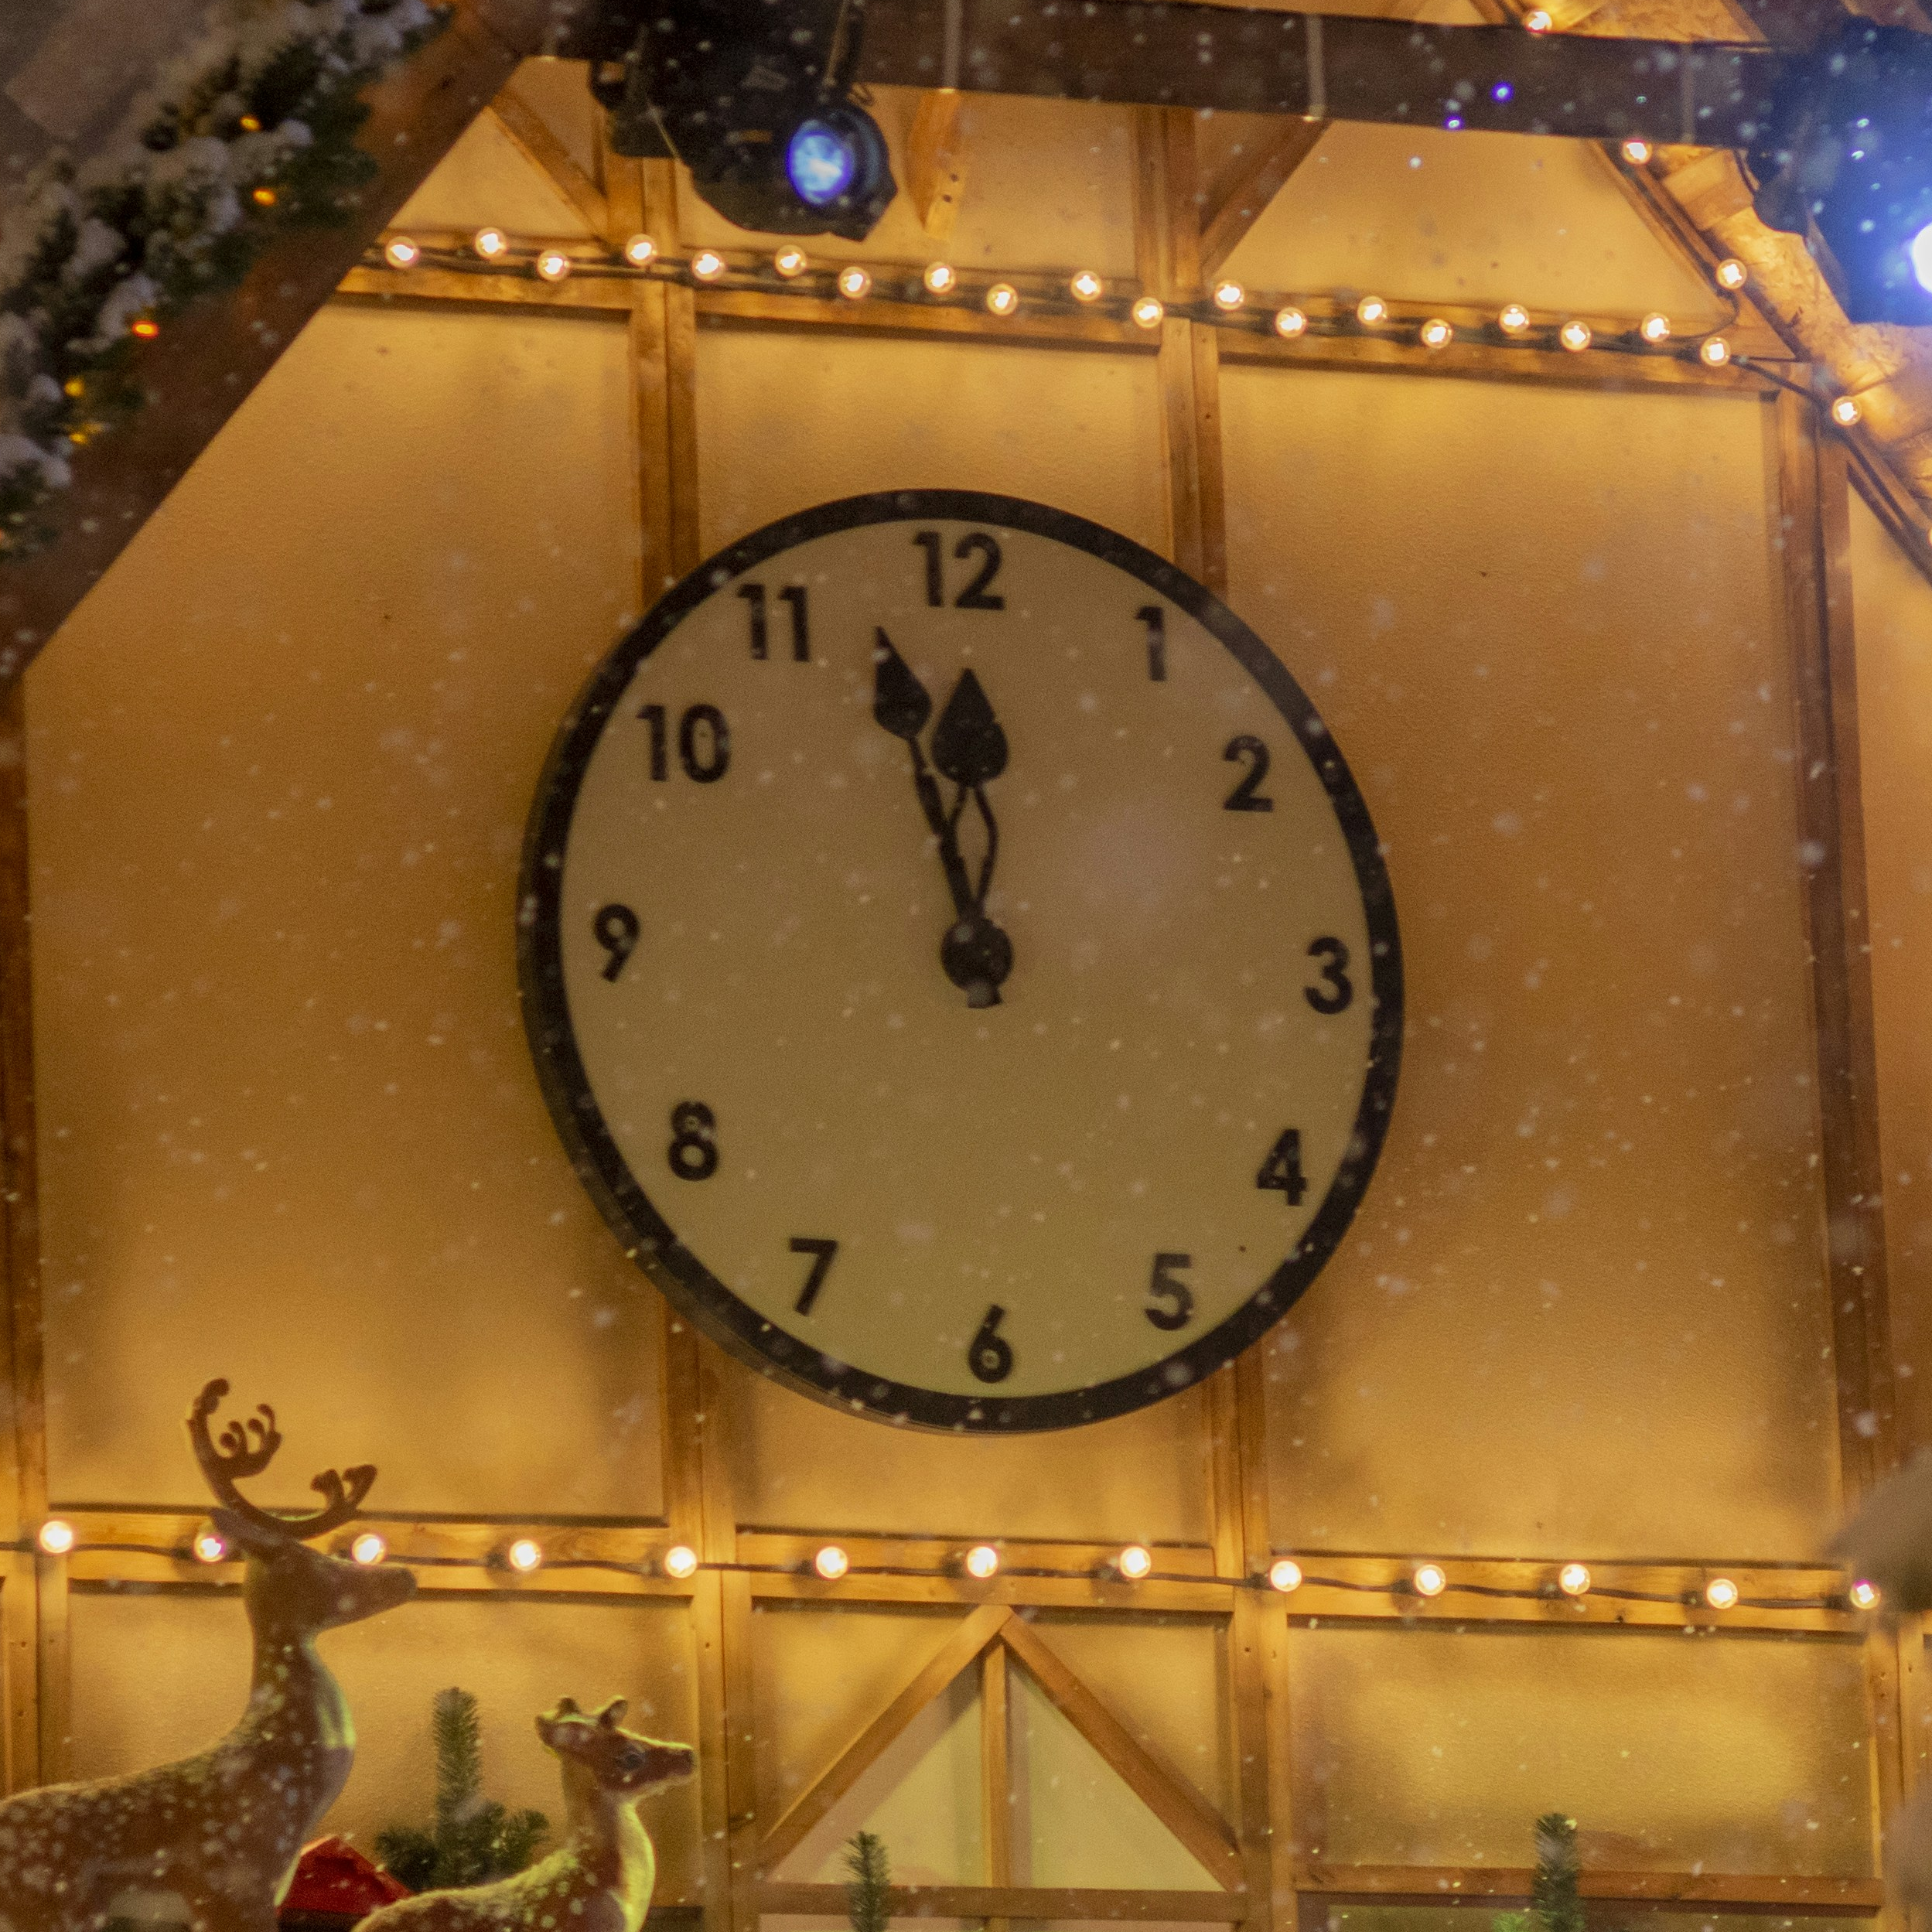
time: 11:57
